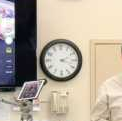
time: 2:18
